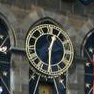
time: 12:30
